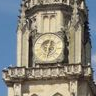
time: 12:32
